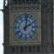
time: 2:01
